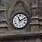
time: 11:11
